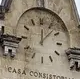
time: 12:07
